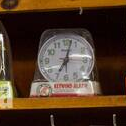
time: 7:02
